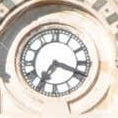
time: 7:18
